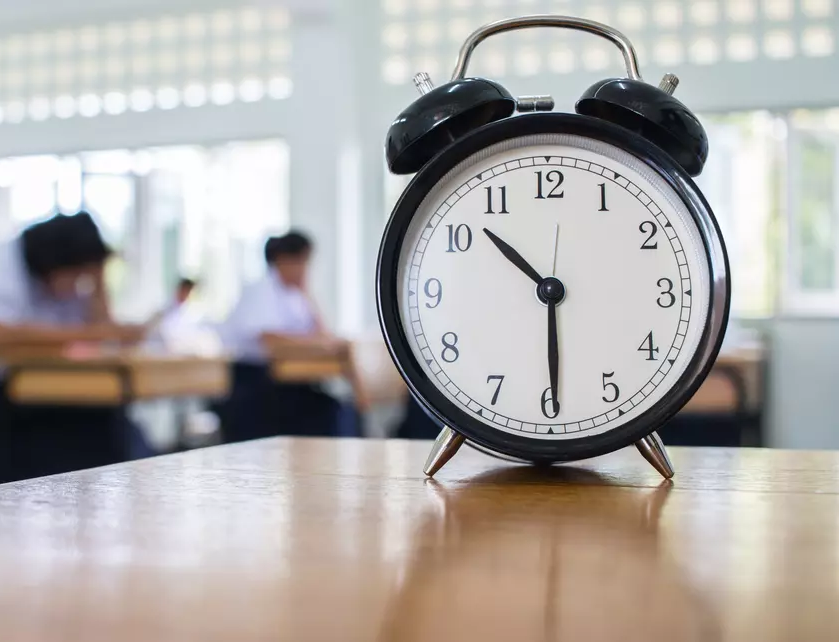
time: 10:29
